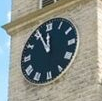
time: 11:55
